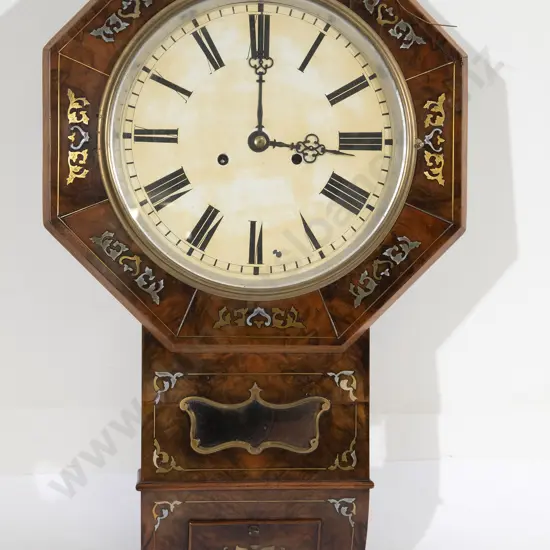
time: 3:00
